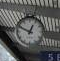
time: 12:49
